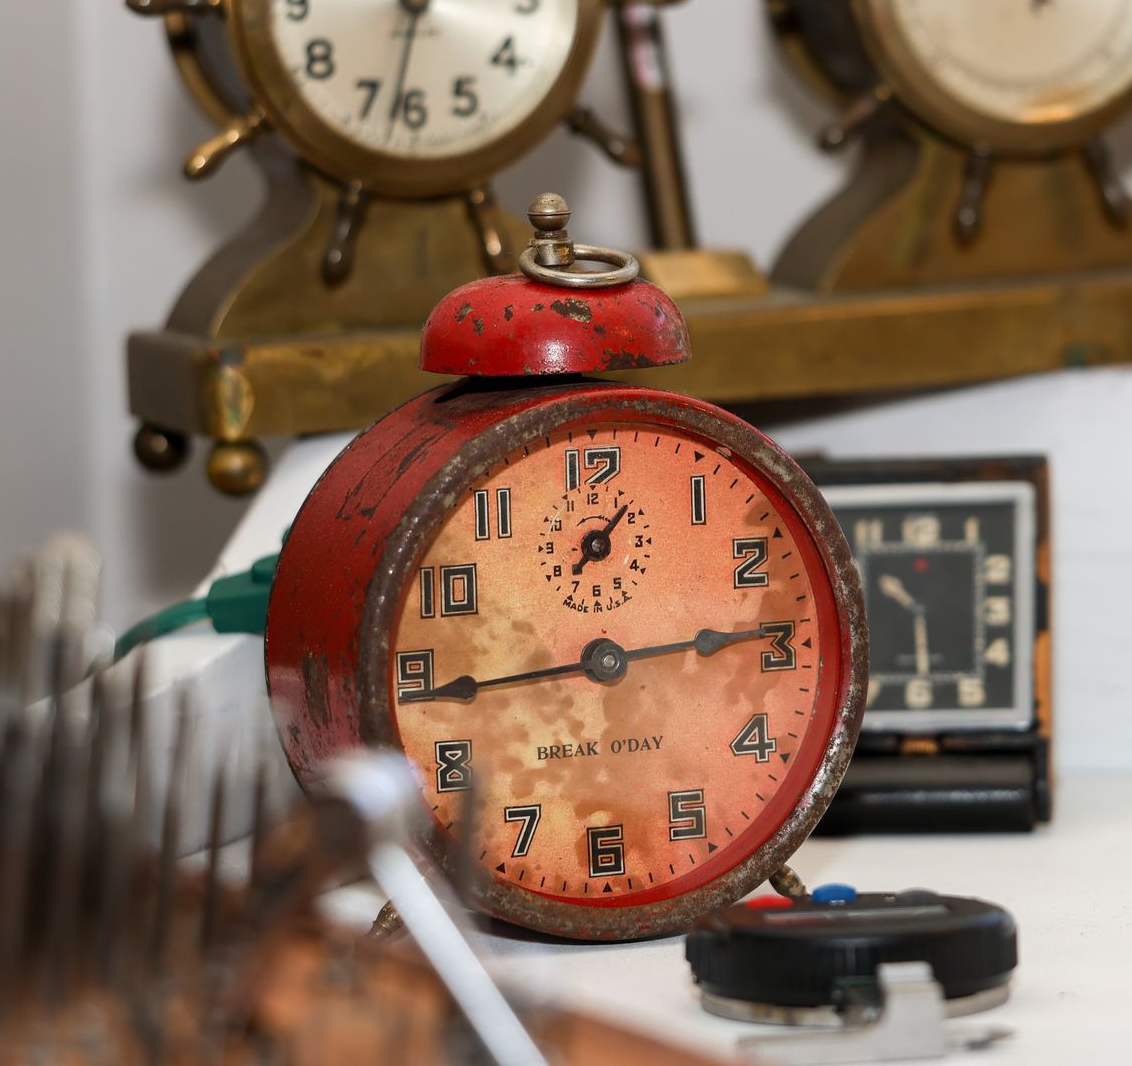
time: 2:43
